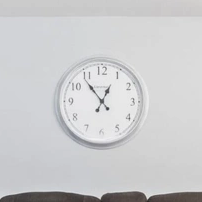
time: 12:53
